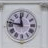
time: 11:46
